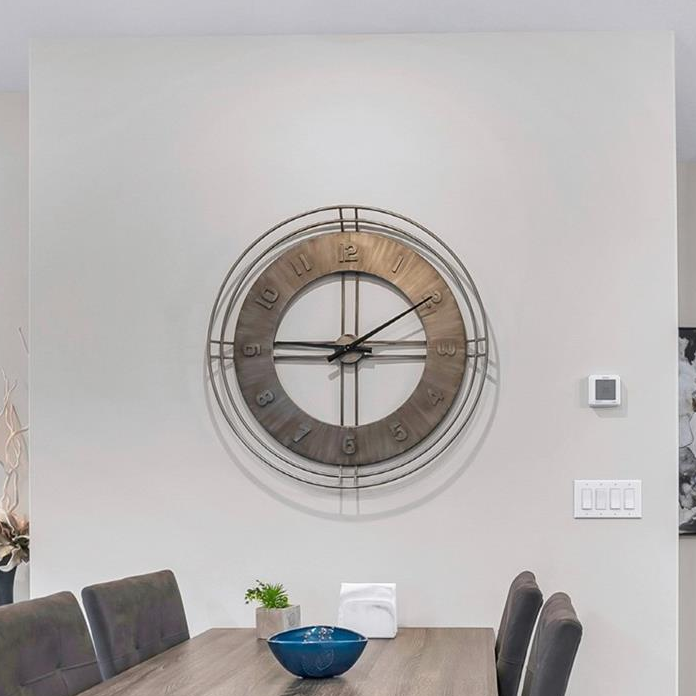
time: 9:09
